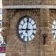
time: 9:01
